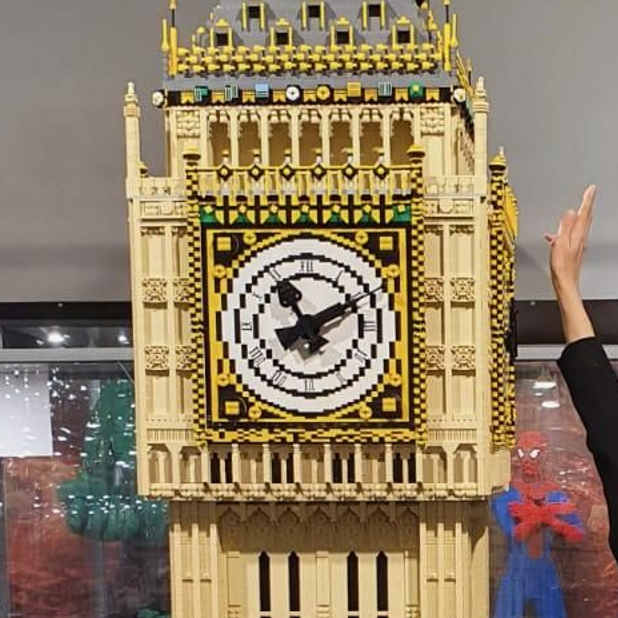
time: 11:10
